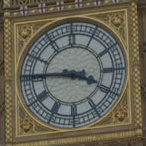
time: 3:45
